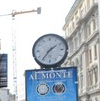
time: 1:36
